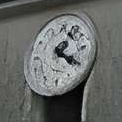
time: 1:20
